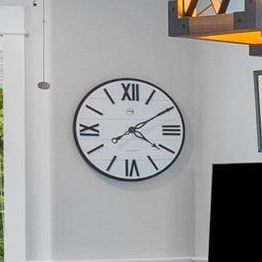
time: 4:09
